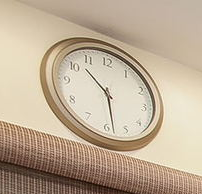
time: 10:28
